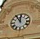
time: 11:54
